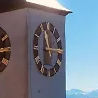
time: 11:14
